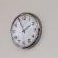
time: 1:55
